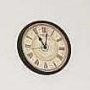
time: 11:01
